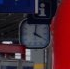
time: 4:01
